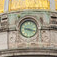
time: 9:17
